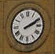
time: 2:09
